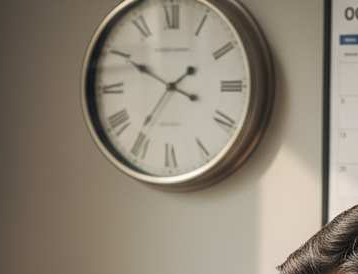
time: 1:49
